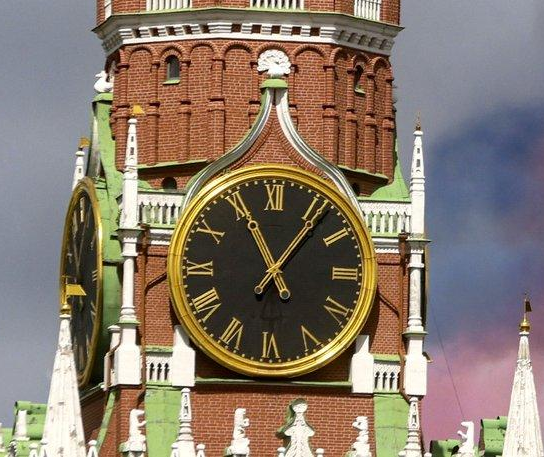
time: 11:06
